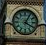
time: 4:04
